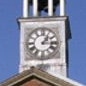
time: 1:16
